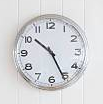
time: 10:25
